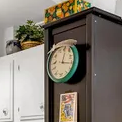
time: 12:16
